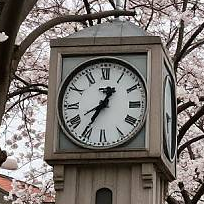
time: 12:35
